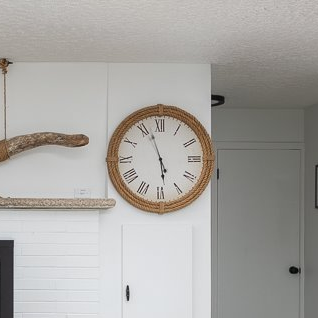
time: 5:56
